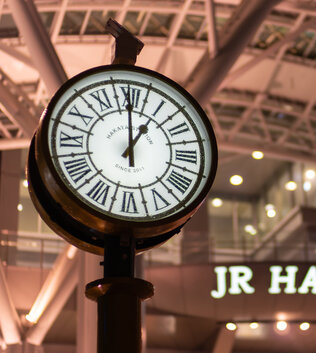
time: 1:00
